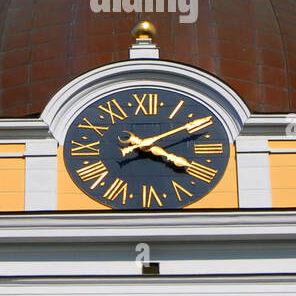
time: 4:09
